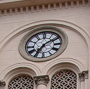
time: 7:09
